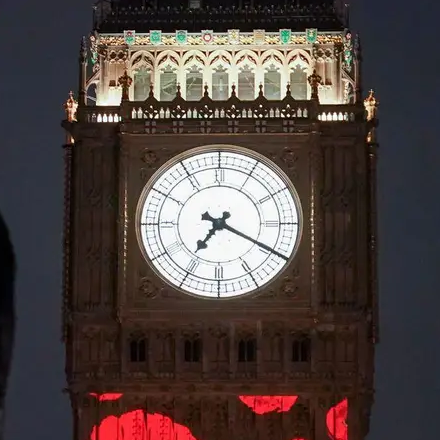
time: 7:19
